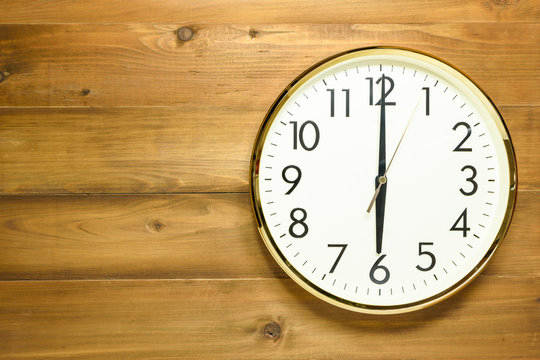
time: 6:00
